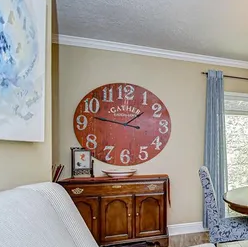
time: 1:46
